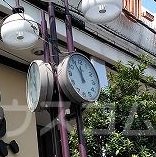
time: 11:55
